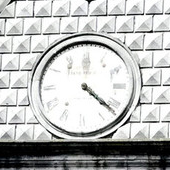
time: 4:21
